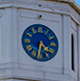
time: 4:31
